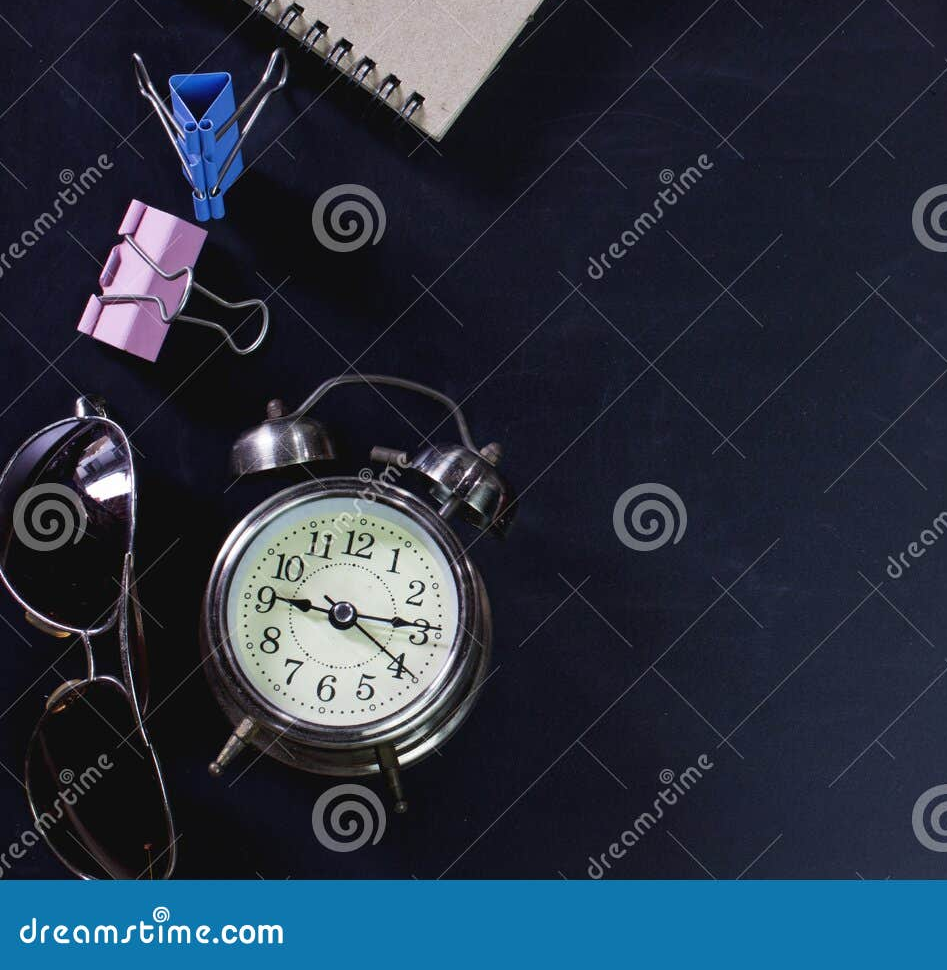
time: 9:14
